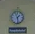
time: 1:28
